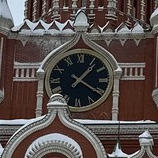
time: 1:20
